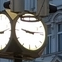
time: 9:13
